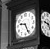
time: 9:26
